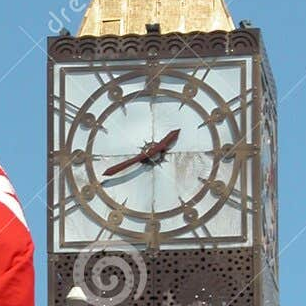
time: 1:41
